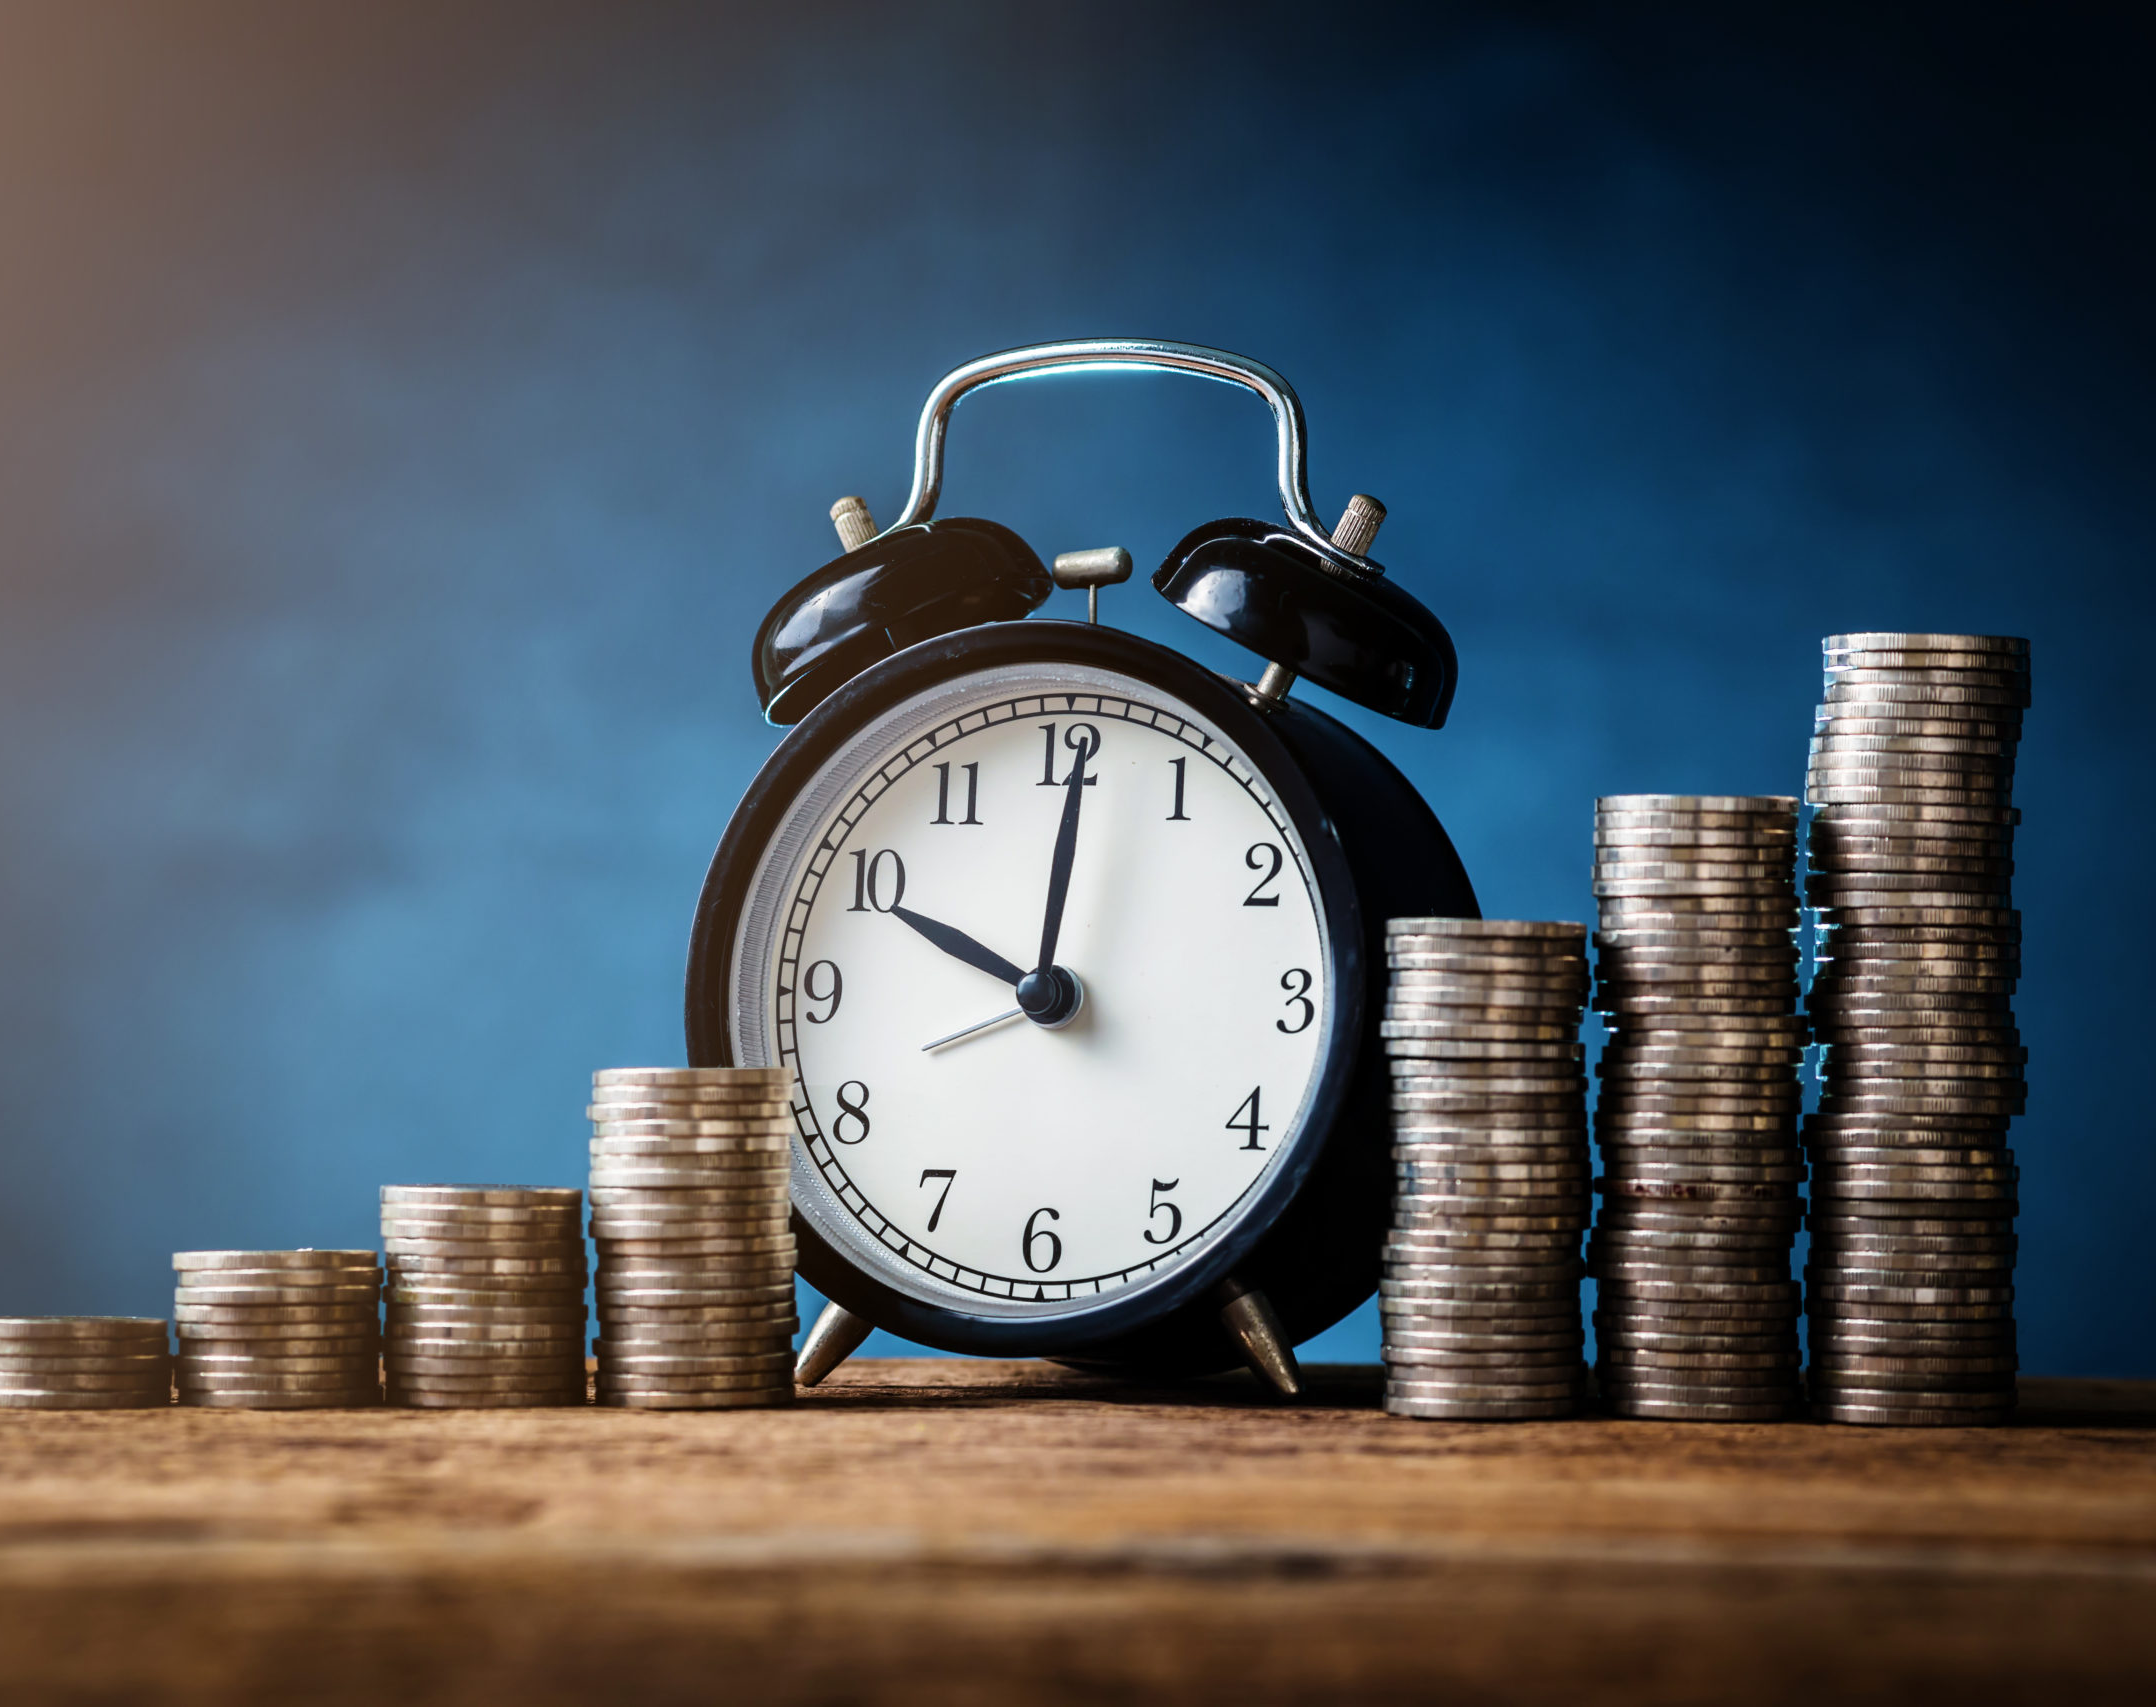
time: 10:01
